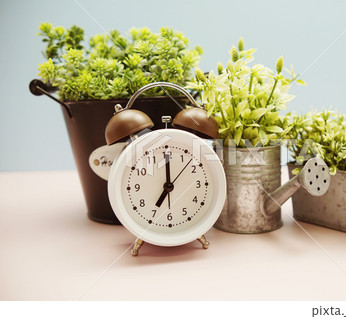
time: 7:00
